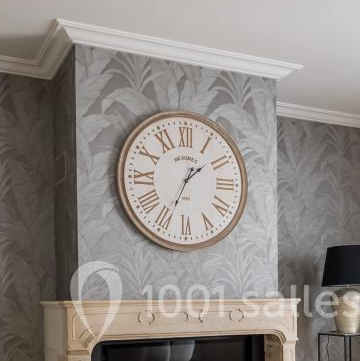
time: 1:34
